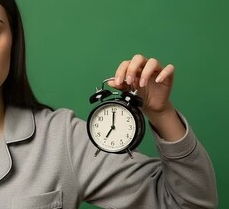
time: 7:00
